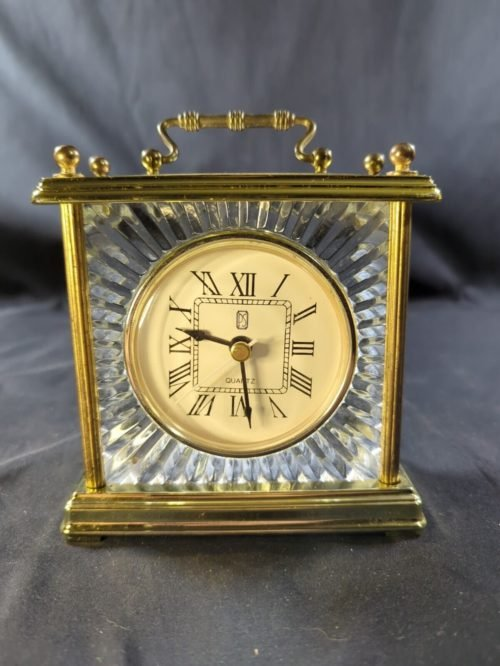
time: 9:28
